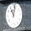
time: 11:02
